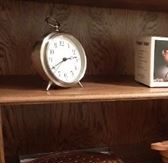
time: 2:40
